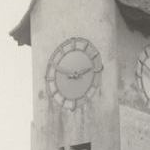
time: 2:48
